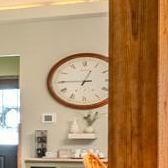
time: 12:45
